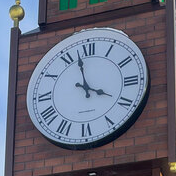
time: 3:57
